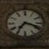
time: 7:18
